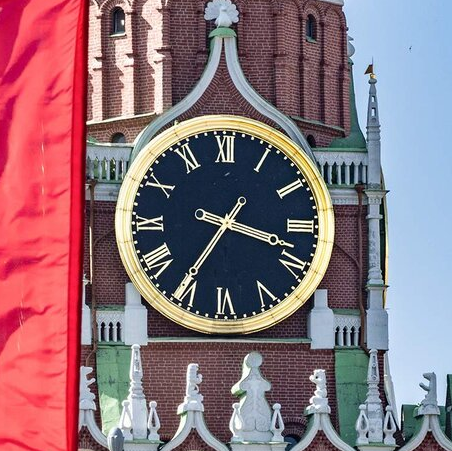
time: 3:35
